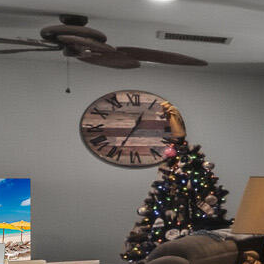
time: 12:34
